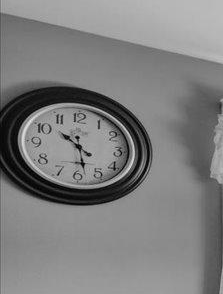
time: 10:28
